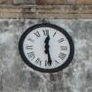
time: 12:28
